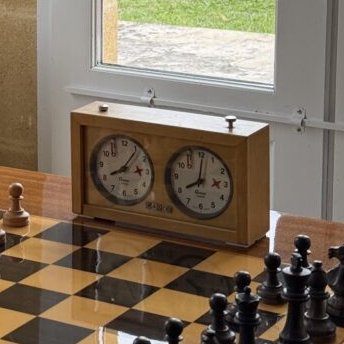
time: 8:02
